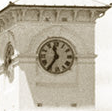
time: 11:35
